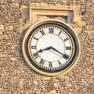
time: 8:19
